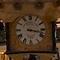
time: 3:17
